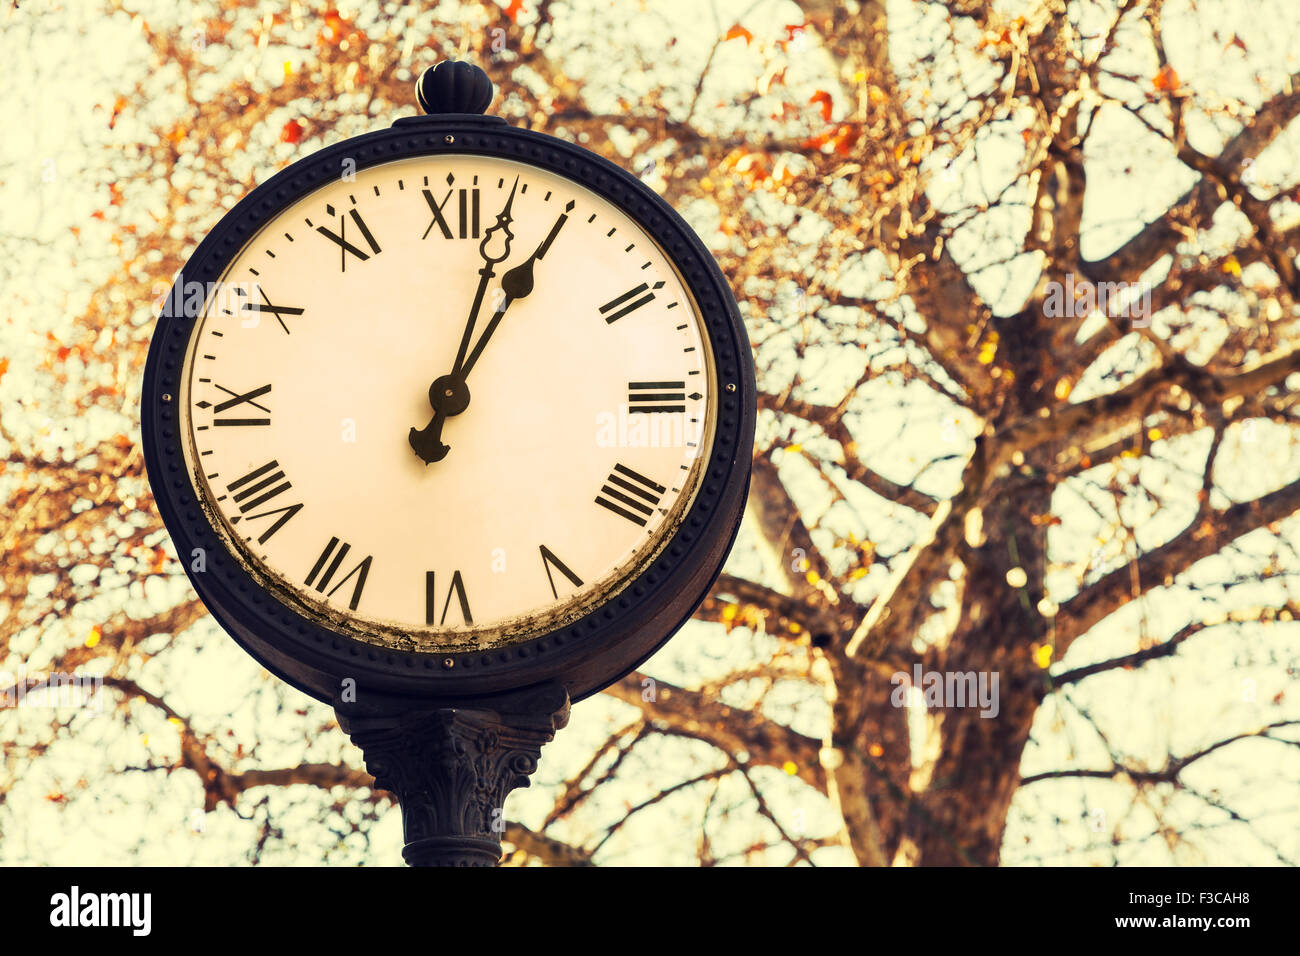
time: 1:02
